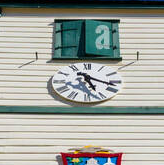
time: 5:18
